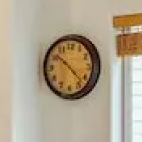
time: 10:22
